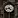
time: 4:42
